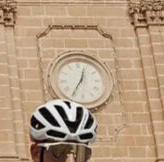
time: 12:35
